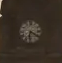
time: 6:21
